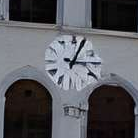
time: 3:04
